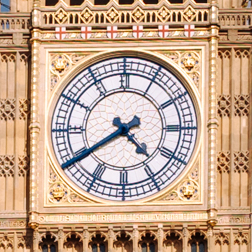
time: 4:39
